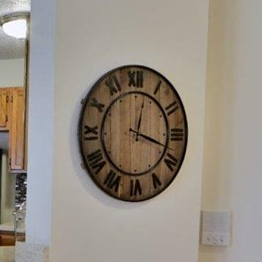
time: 12:18
